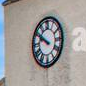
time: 9:50
